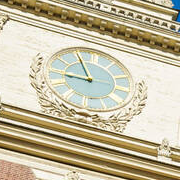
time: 8:55
